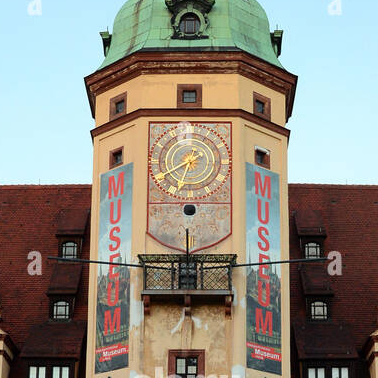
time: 6:40
